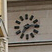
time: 2:36
